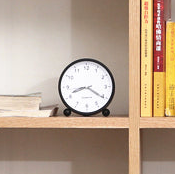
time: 8:20
